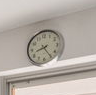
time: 8:24
